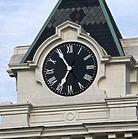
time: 6:54
